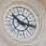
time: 10:17
